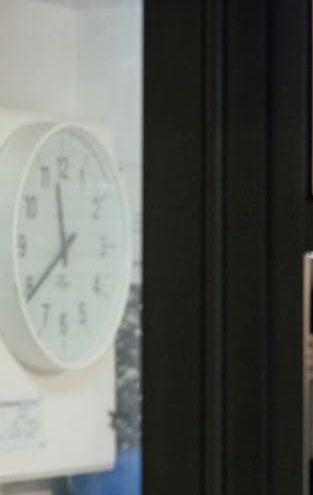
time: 11:39
